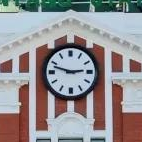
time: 2:47
